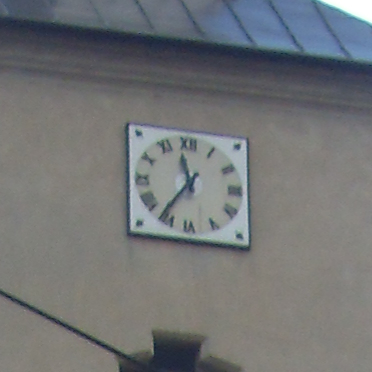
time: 11:36
